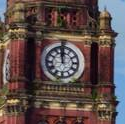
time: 11:59
